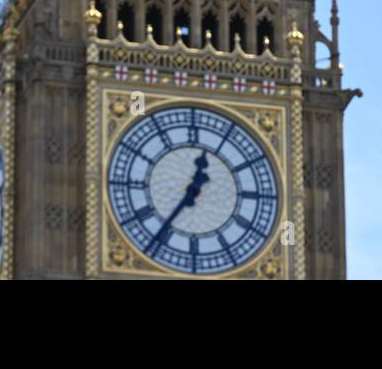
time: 12:36
